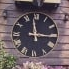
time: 2:58
